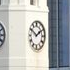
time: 1:50
